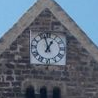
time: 12:57
